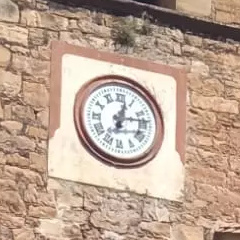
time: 12:13
